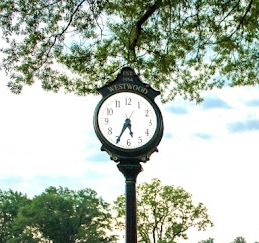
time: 5:34
